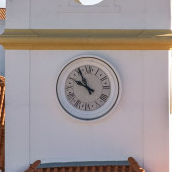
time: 9:55
